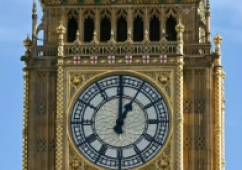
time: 1:00
